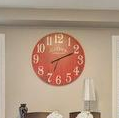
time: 2:11
